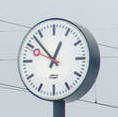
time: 12:52
